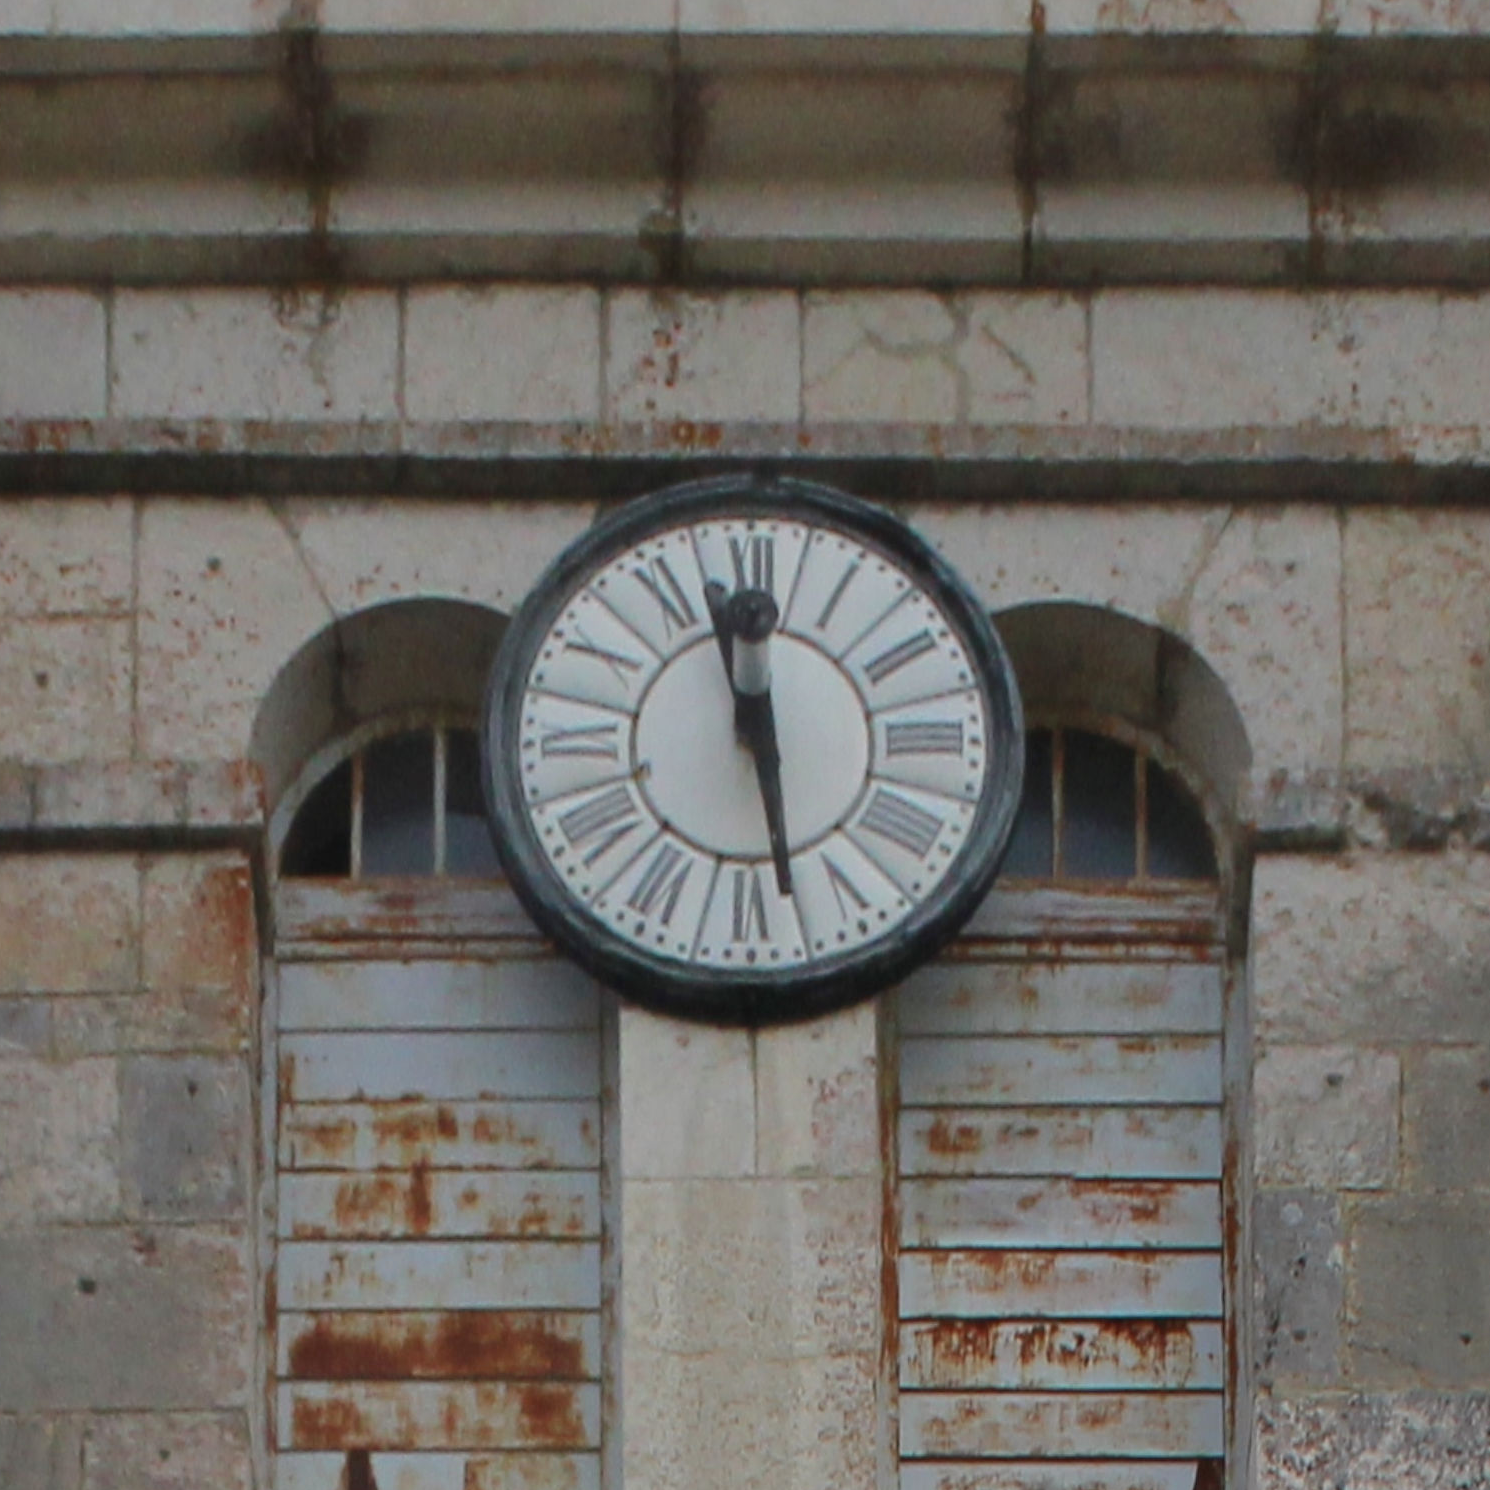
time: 11:28
